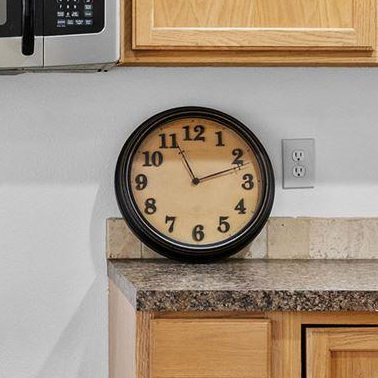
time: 11:11
